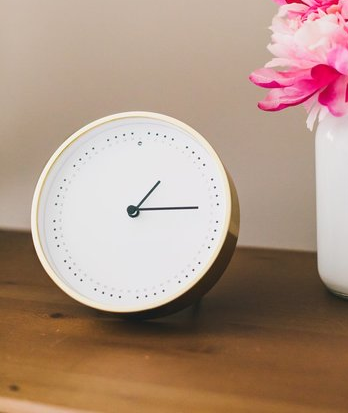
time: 1:14
